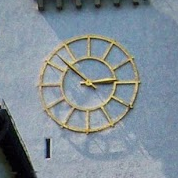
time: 2:52
